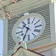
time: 10:34
